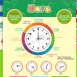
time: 3:00
